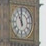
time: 10:59
